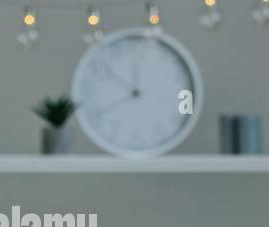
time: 11:51
